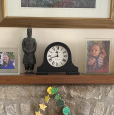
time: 11:41
